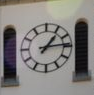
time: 1:13
